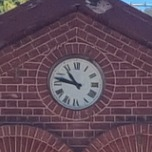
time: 10:47
